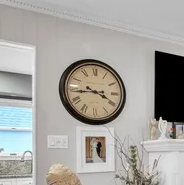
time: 3:43
